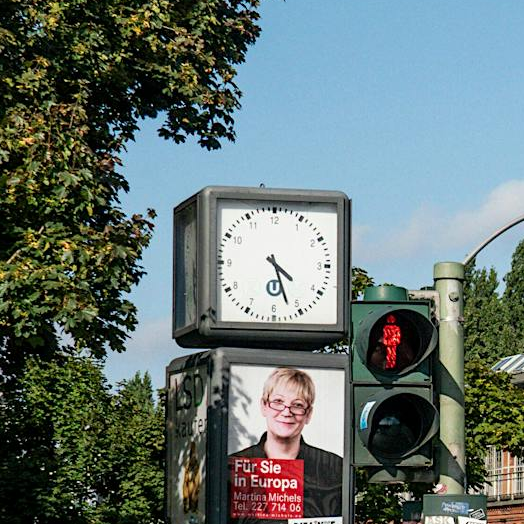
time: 4:26
